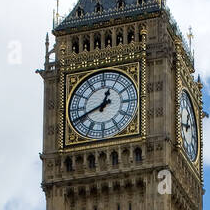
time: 12:41
